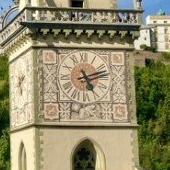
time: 5:11
